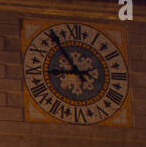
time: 8:54
